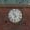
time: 10:31
